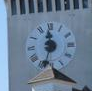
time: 11:33
